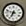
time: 6:48
